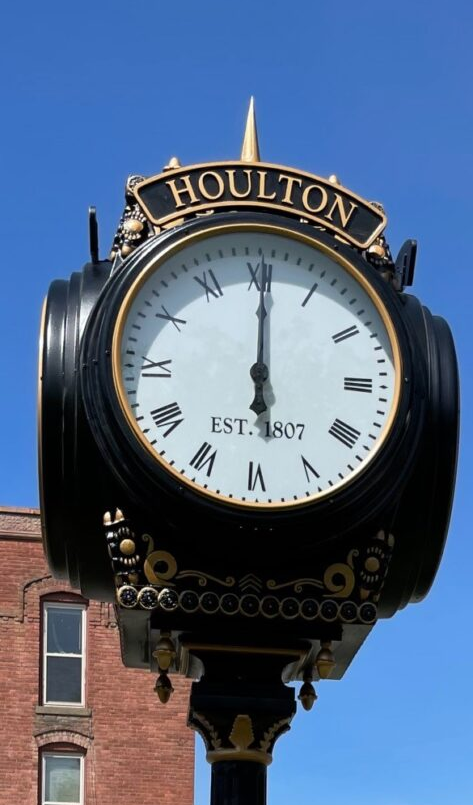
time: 6:00
